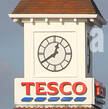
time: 12:39
